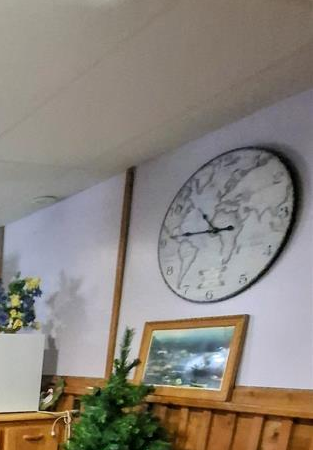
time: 10:45
